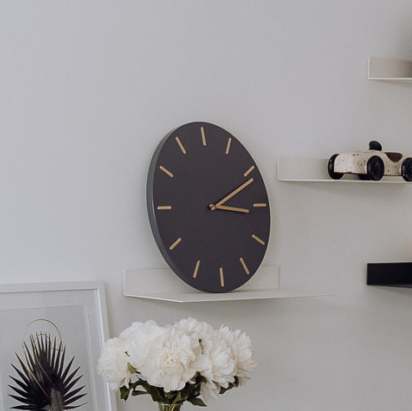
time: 3:11
